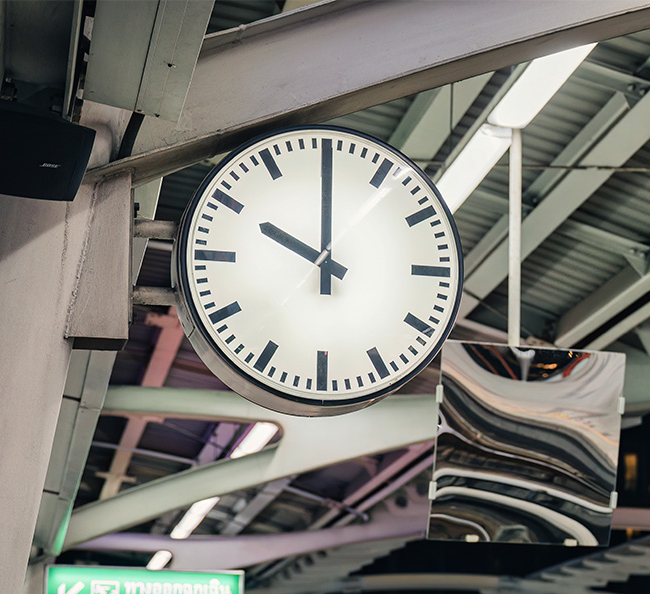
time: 10:00
